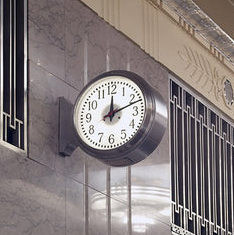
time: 12:11
